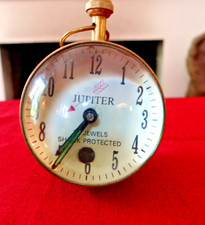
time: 7:36
